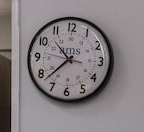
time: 10:37
